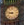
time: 8:47
